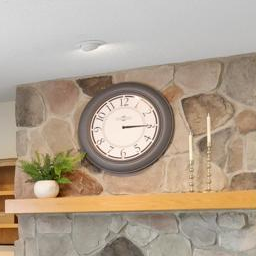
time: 3:15
